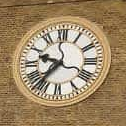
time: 9:36
